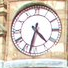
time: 4:32
